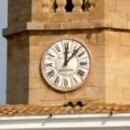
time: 12:07
